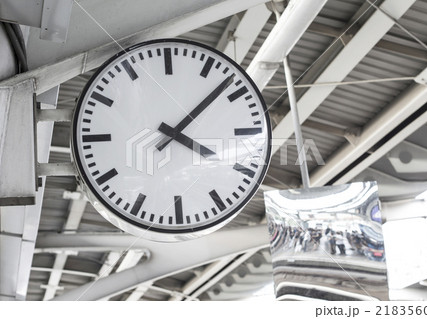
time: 4:08
